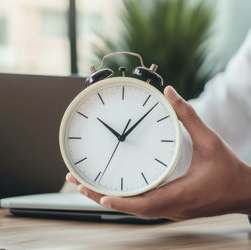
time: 10:07
